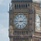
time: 2:44
